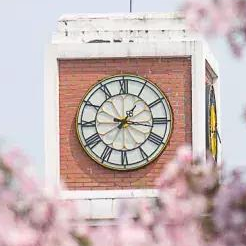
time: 1:16
